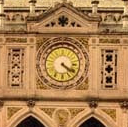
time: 4:20
